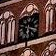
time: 6:18
